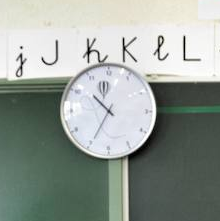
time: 10:34
